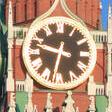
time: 9:32
